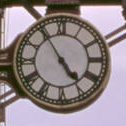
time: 4:54
